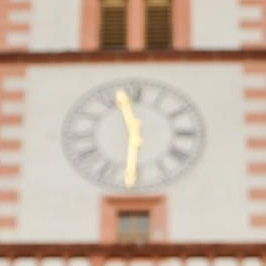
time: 11:30
